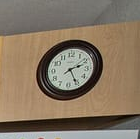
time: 2:25
